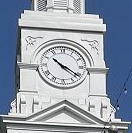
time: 10:20
